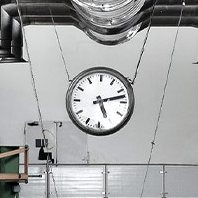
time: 5:12
